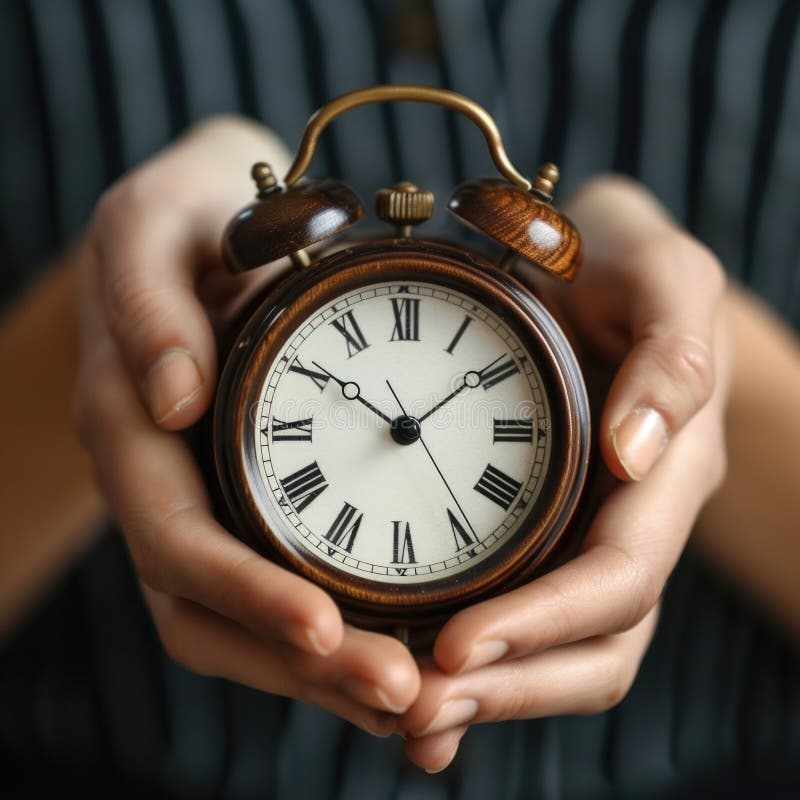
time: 1:50
